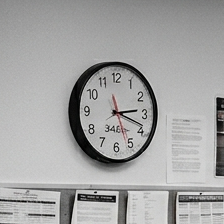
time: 2:18
